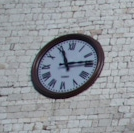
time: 11:13
